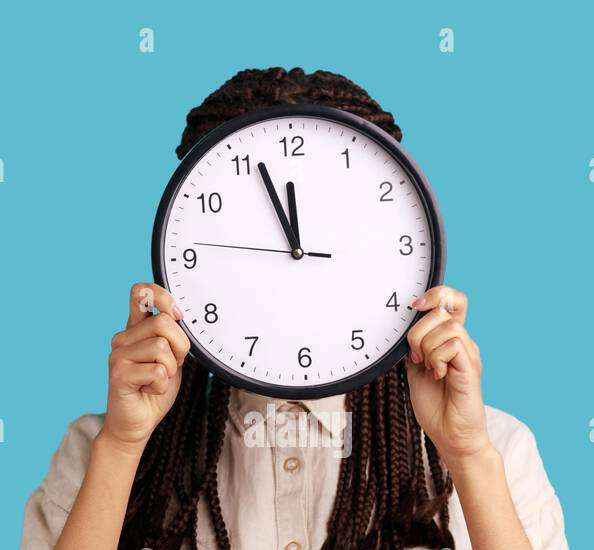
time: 11:56
